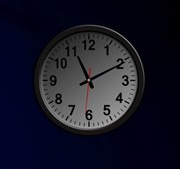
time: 11:10
